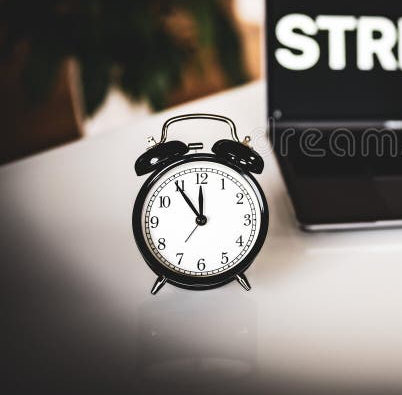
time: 11:54
